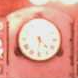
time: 4:30
